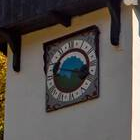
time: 3:47
